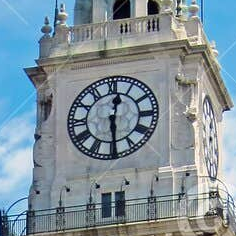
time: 12:29
